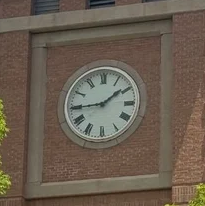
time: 1:44
